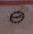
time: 2:46
